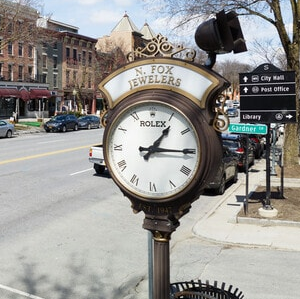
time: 1:14
